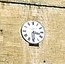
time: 3:30
